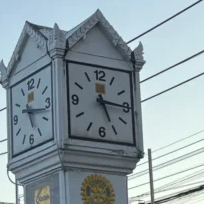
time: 5:15
